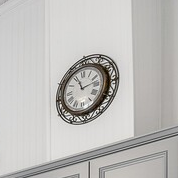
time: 11:12
